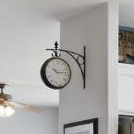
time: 10:14
